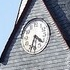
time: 4:33
